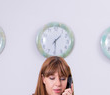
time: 1:29
